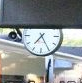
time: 7:25
